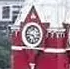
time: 4:45
